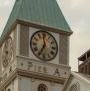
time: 6:58
